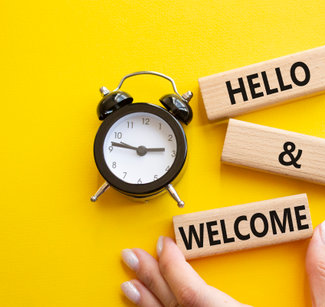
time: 2:46
